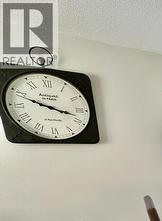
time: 3:48
